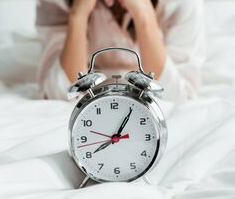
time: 8:05
